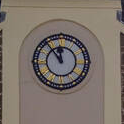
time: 11:53
